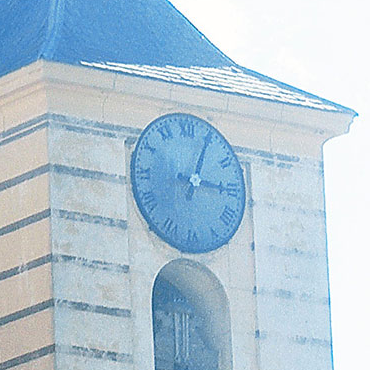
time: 3:04
